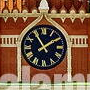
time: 1:54
